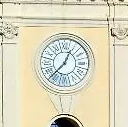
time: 12:37
